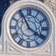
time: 3:55
